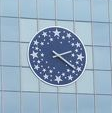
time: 2:20
